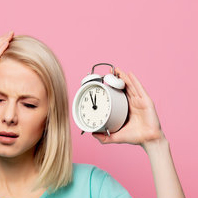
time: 11:55
